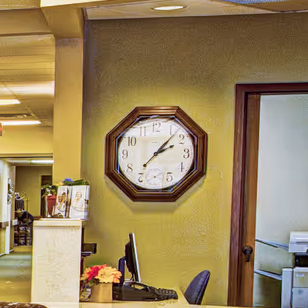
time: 2:07
